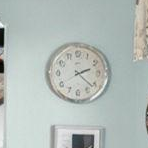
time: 2:21
